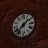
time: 1:36
